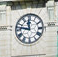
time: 11:46
